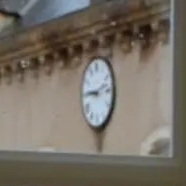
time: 9:12
